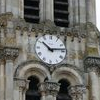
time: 10:13
